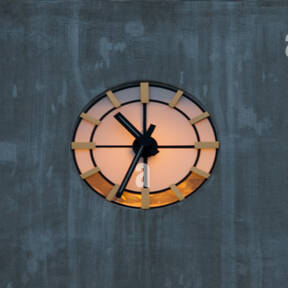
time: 10:34
